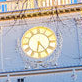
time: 6:23
